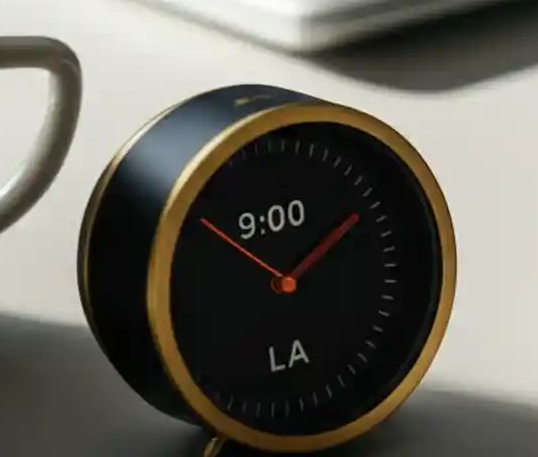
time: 1:50
